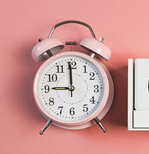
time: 8:59
